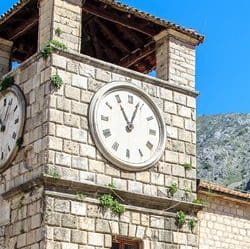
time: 11:03
